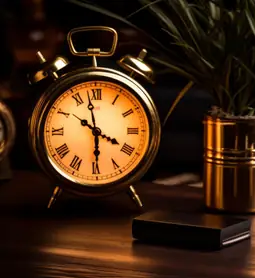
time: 3:58
